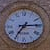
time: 7:14
